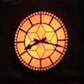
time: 8:17
